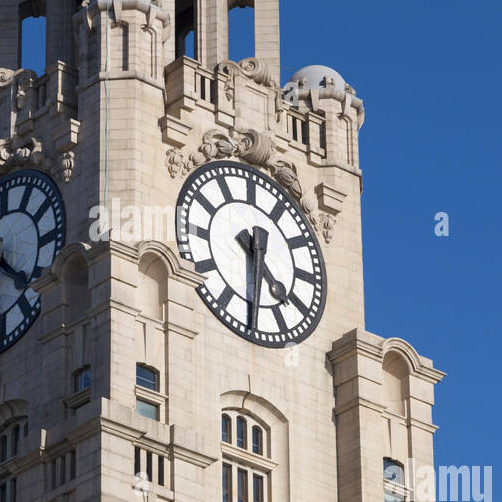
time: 4:31
